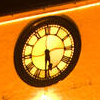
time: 5:30
